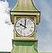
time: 10:00
